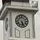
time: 5:26
